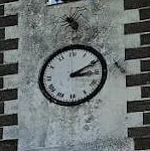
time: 3:10
